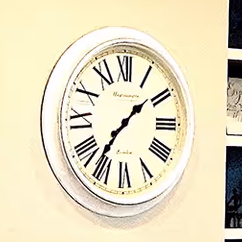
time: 1:36
